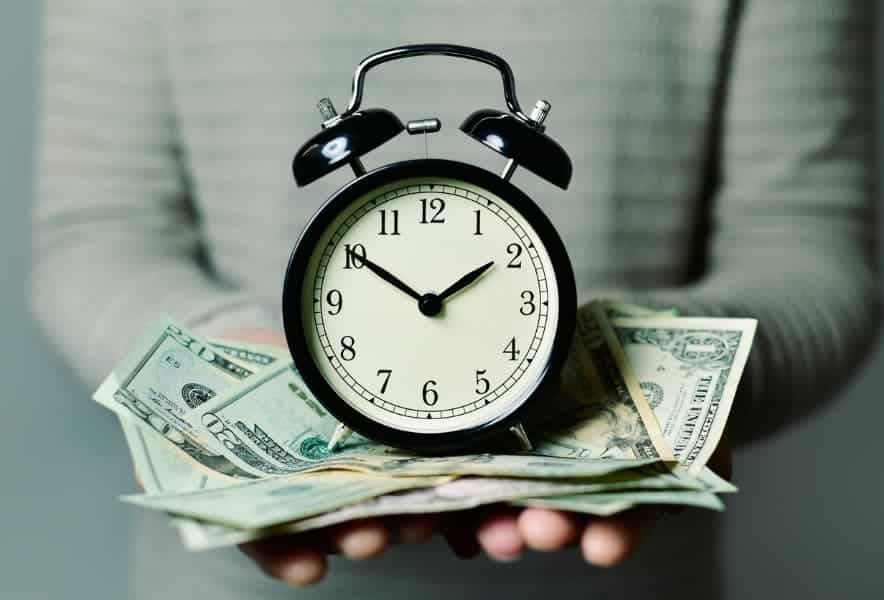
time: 1:50
